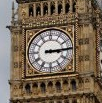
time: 3:14
